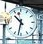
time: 10:32
